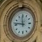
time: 11:46
